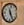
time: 11:25
